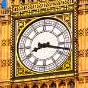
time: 8:17
